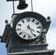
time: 4:26
